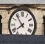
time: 7:53
